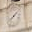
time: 1:38
